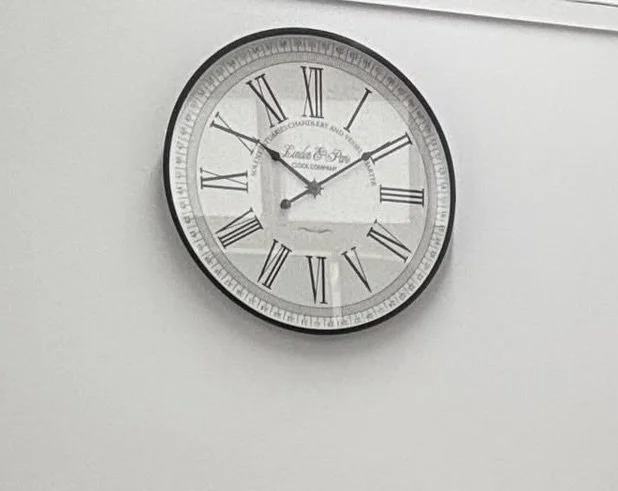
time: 10:09
